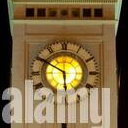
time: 5:50
